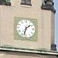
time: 1:32
